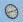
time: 8:11
